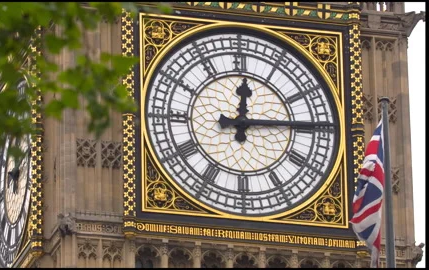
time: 12:14
